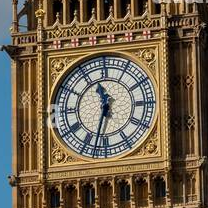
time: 11:32
